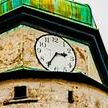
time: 2:35
